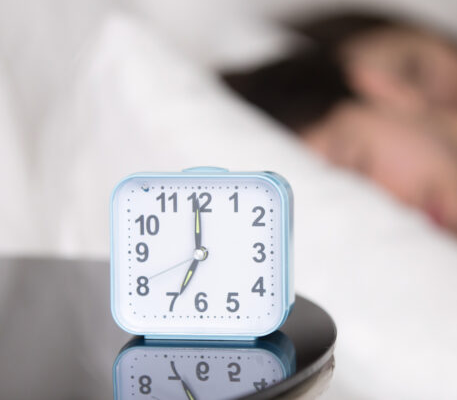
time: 6:59
